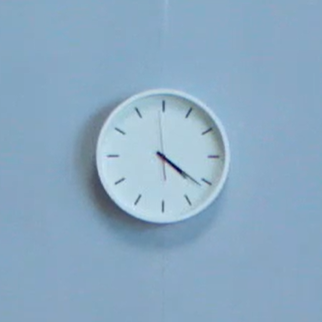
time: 4:21
